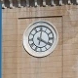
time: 4:01
